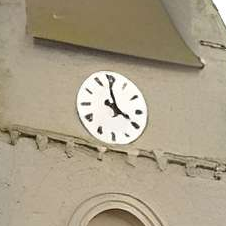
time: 3:58
